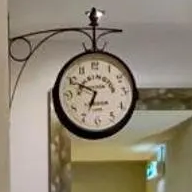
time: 6:48
